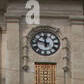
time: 11:47
